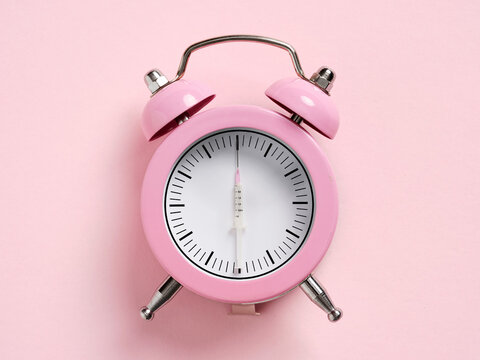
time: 6:00
